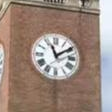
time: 11:09
